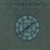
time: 1:38
